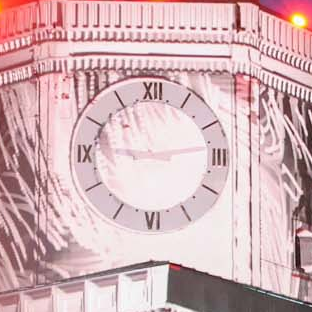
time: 9:13
